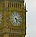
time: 5:18
